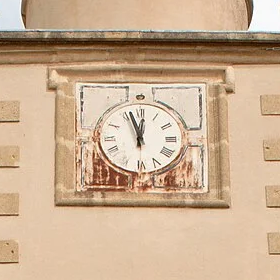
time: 11:56
